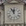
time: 11:55
